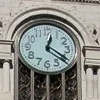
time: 12:20
